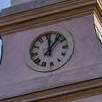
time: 12:07
